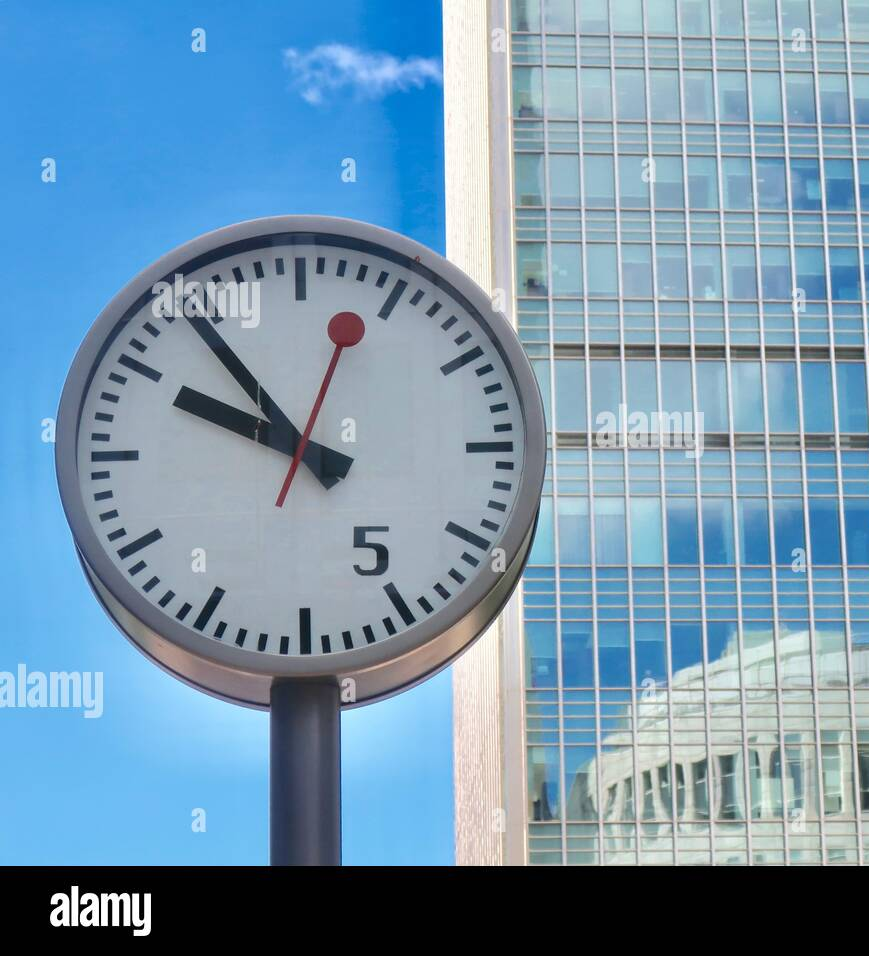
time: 9:54
